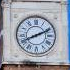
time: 8:11
